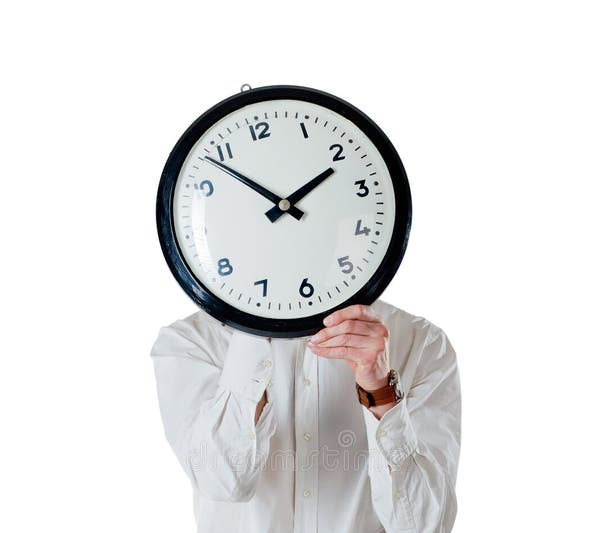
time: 1:53
